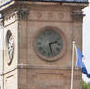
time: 2:27
